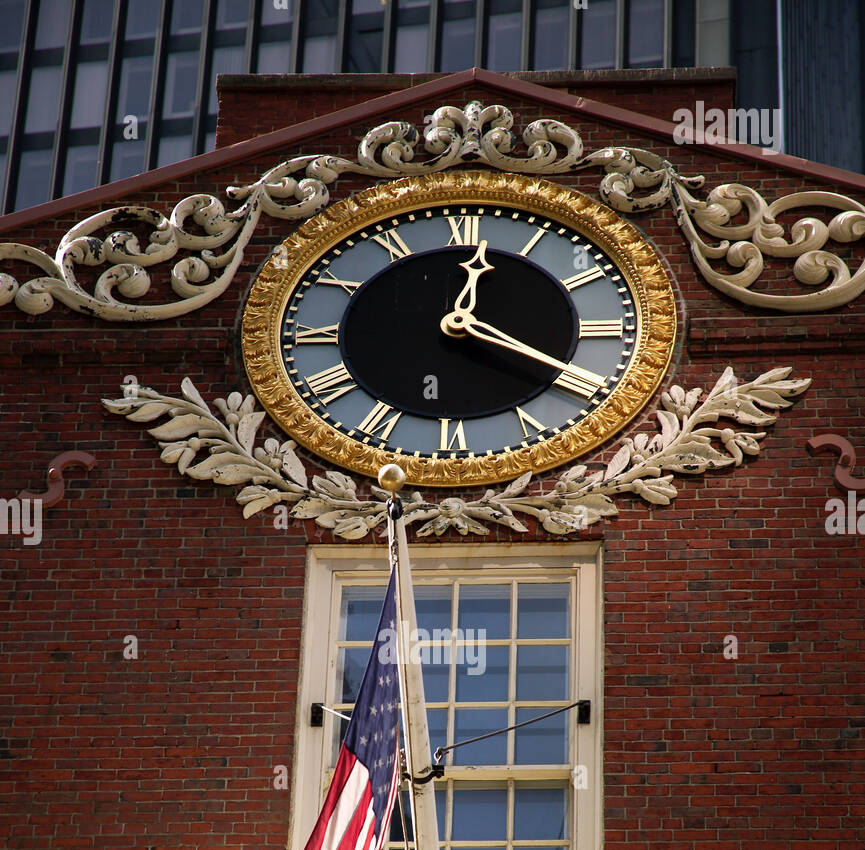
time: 12:20
